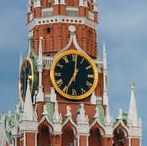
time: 7:01
